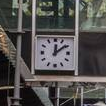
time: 12:08
